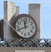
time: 11:41
